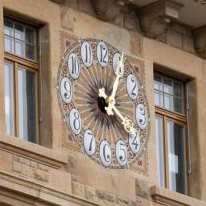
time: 4:04
